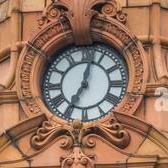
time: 7:02
